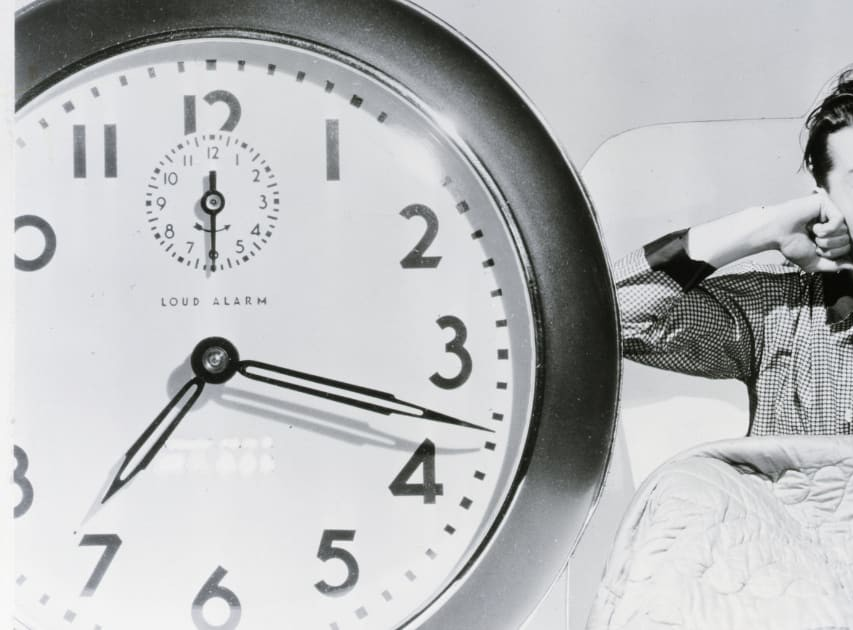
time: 7:17
